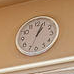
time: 1:03
